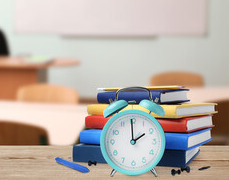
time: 1:59
